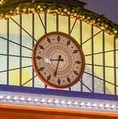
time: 8:33
